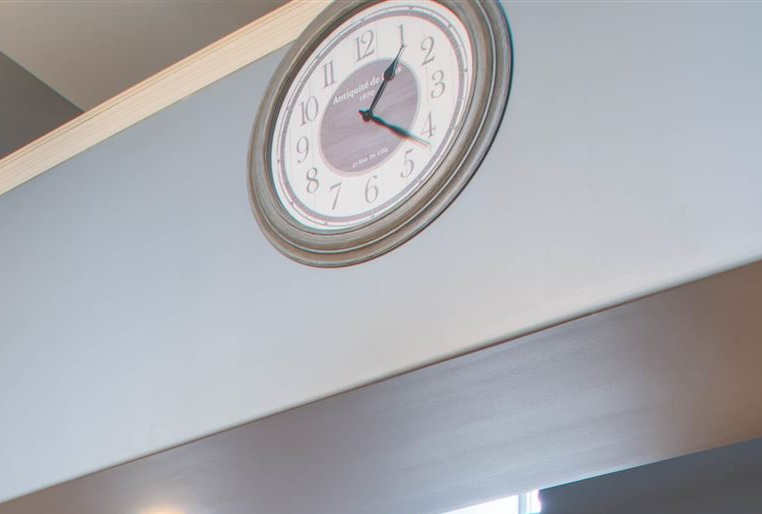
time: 1:21
